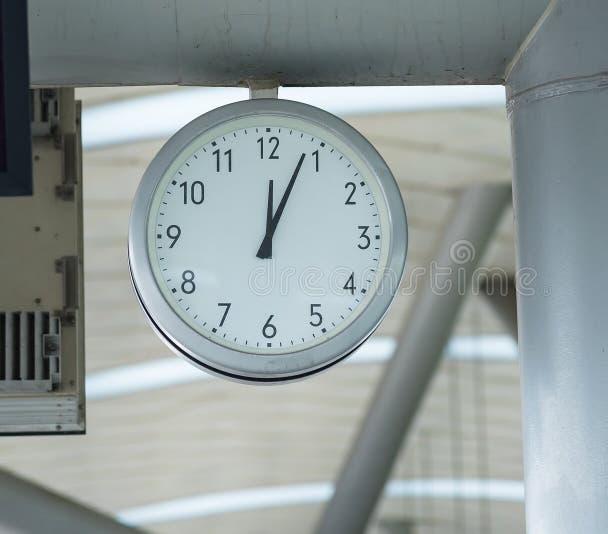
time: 12:03
